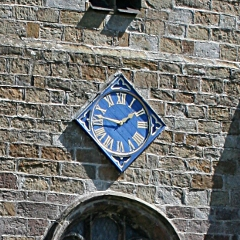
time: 1:47
